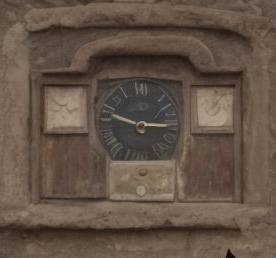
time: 2:48
